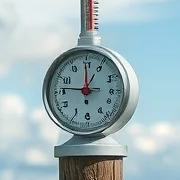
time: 12:46
